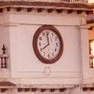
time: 7:58
